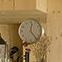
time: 12:23
